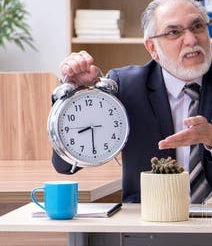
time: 8:30
